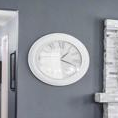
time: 1:18
